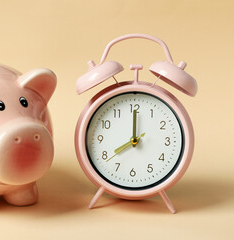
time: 8:00
